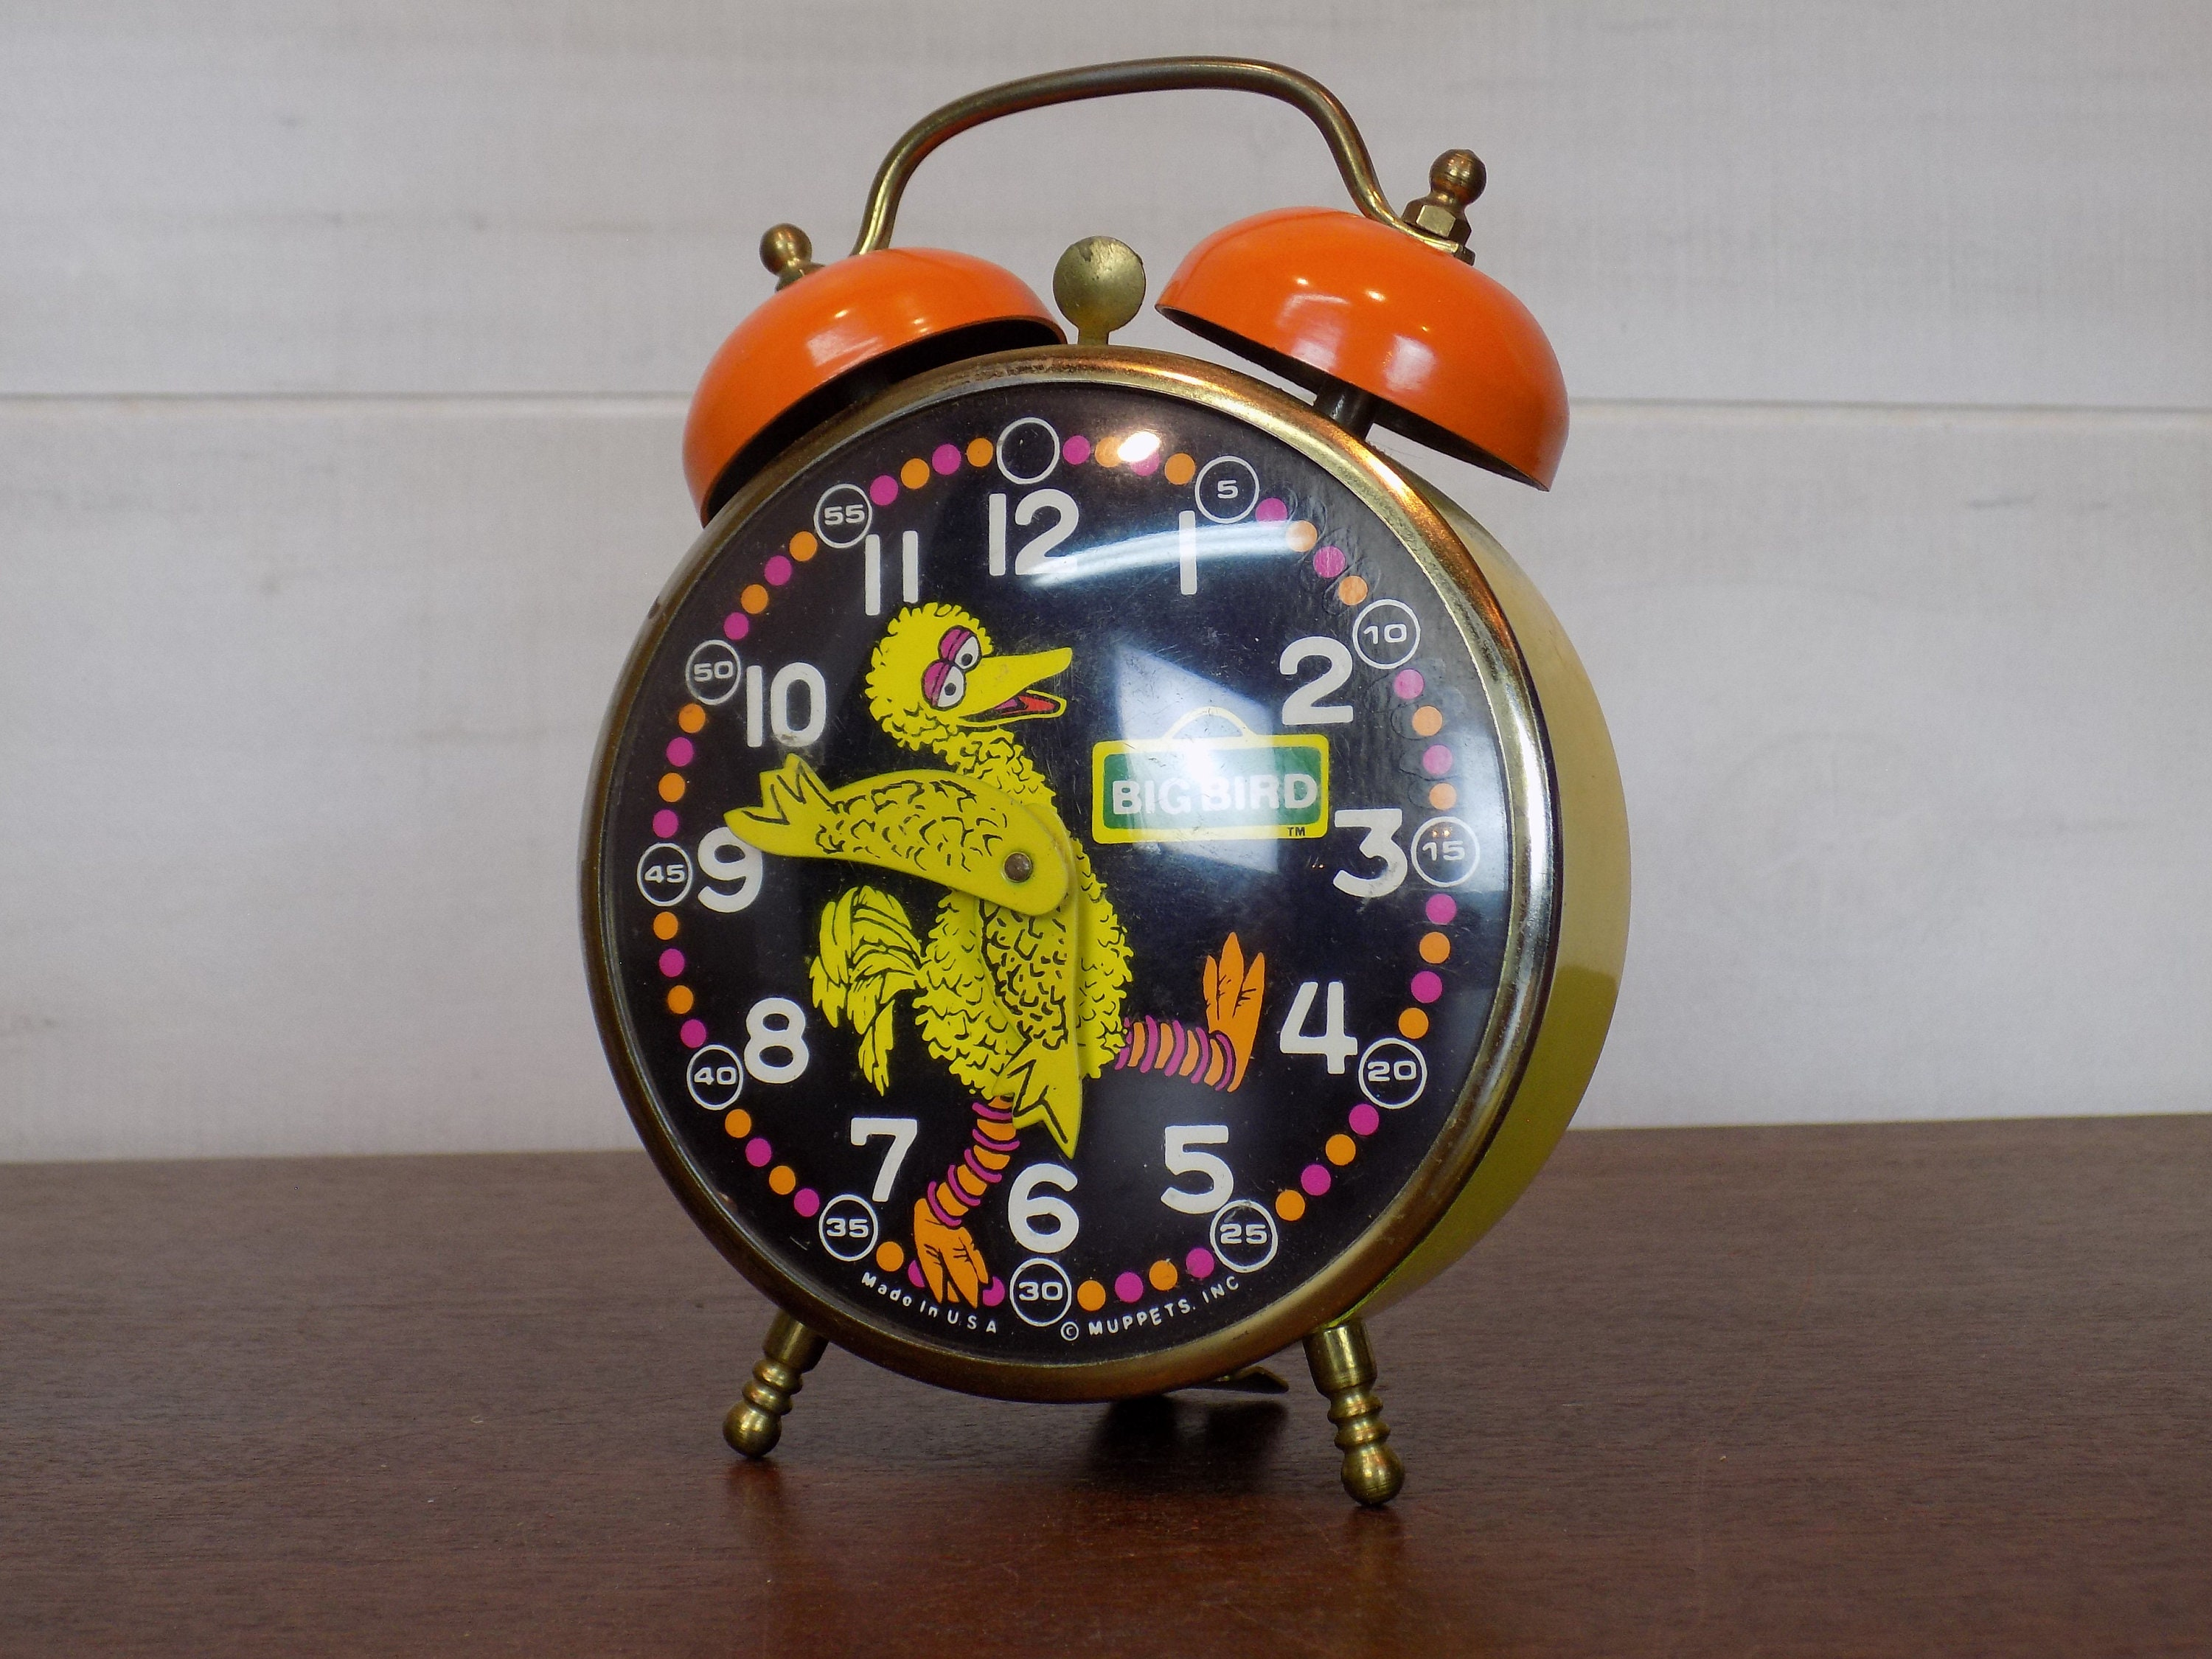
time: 10:46
